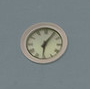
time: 6:05
